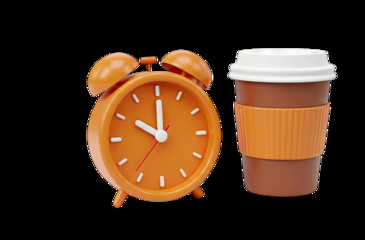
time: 10:00
